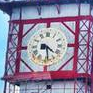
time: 4:28
